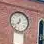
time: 12:38
